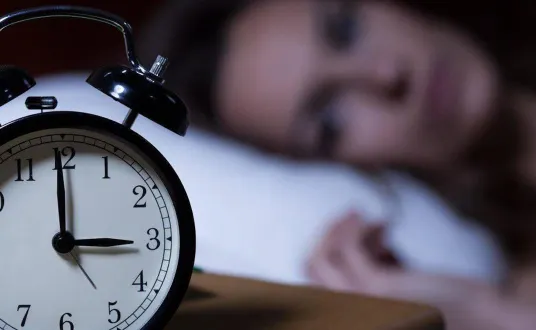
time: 2:59
